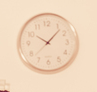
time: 10:07
